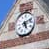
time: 5:11
